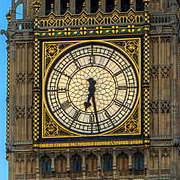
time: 6:28
